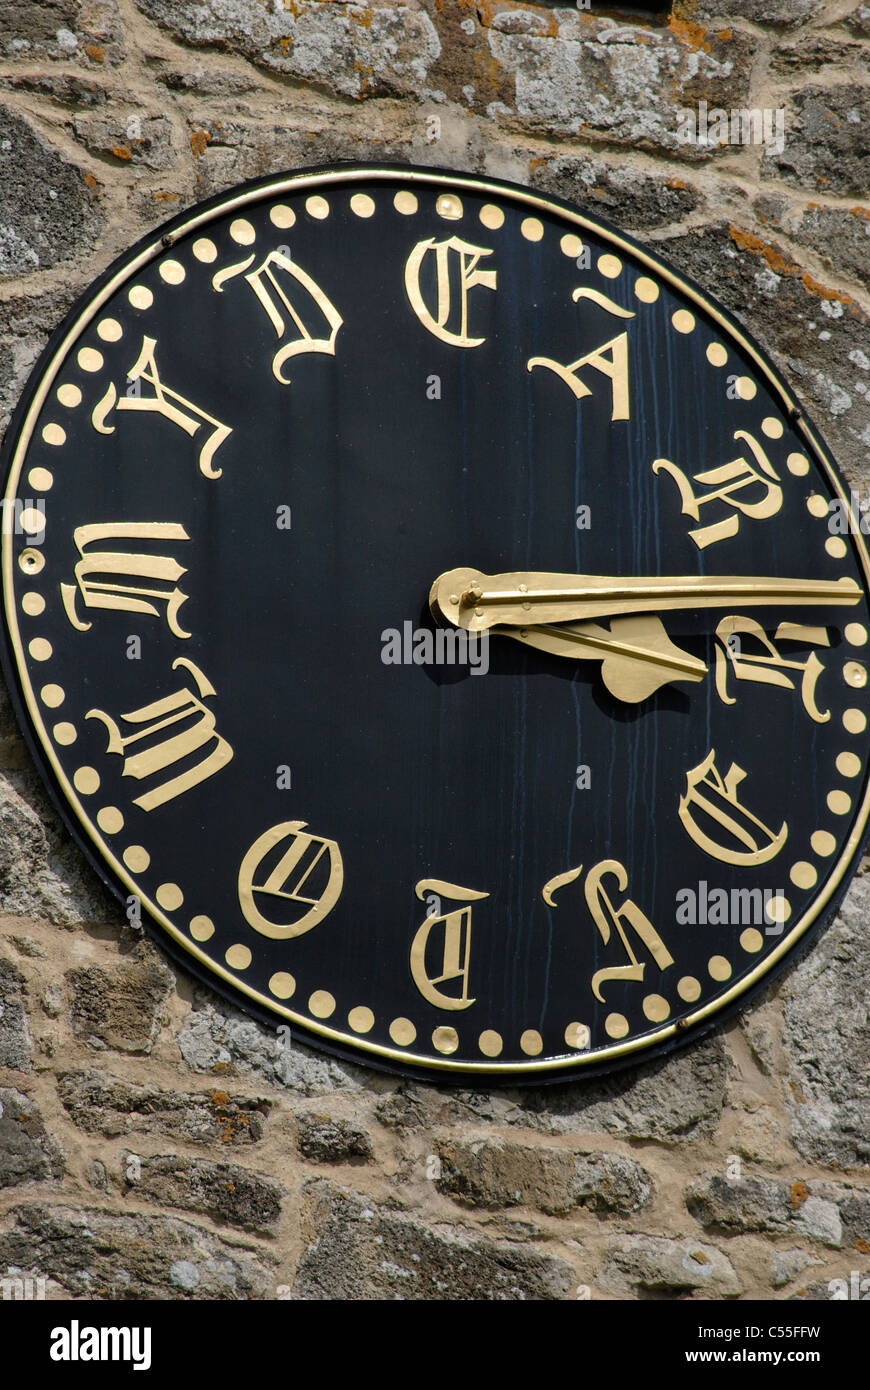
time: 3:13
